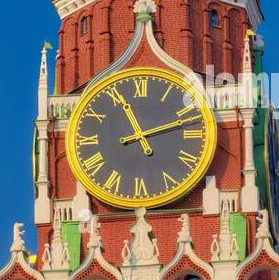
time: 11:12
